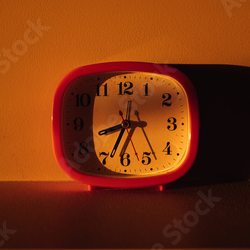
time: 8:33
